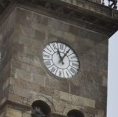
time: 11:05
